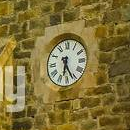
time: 6:25
